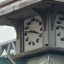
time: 3:46
